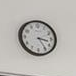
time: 3:24
